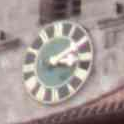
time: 3:09
